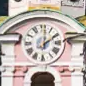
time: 2:01
